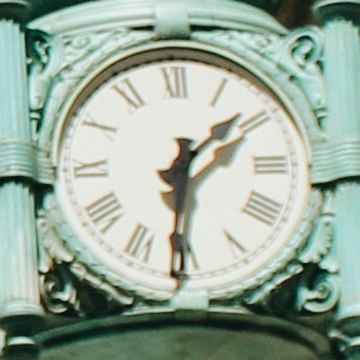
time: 1:31
